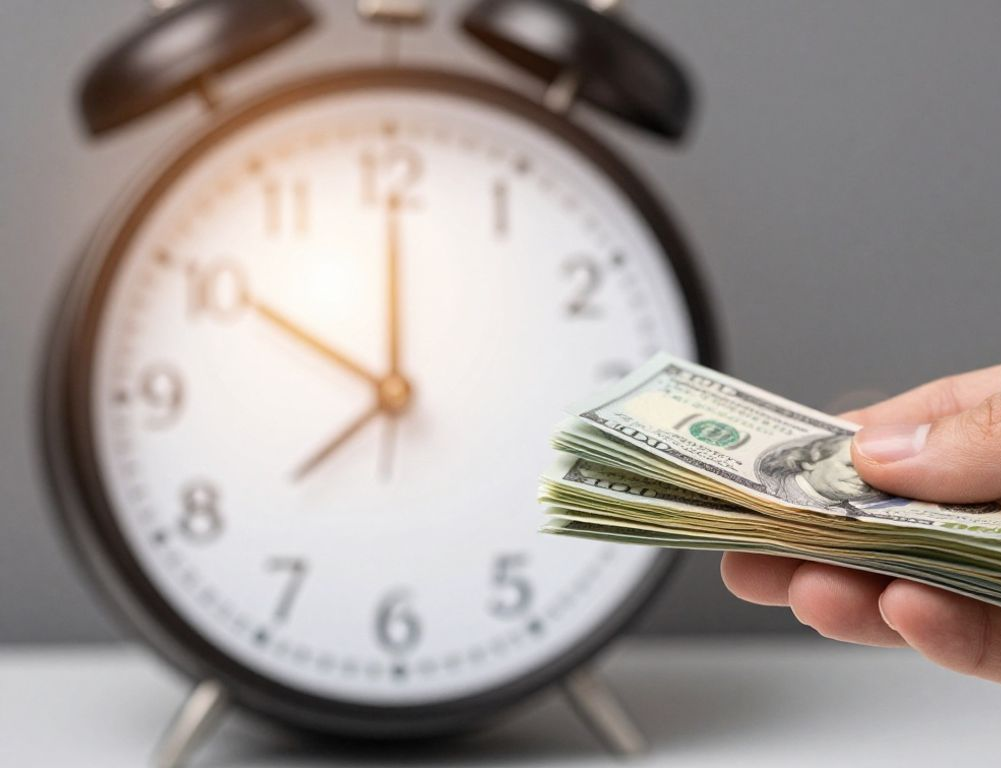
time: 10:00
